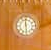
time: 5:59
